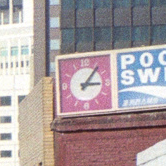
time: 3:06
